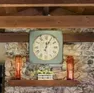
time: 12:04
